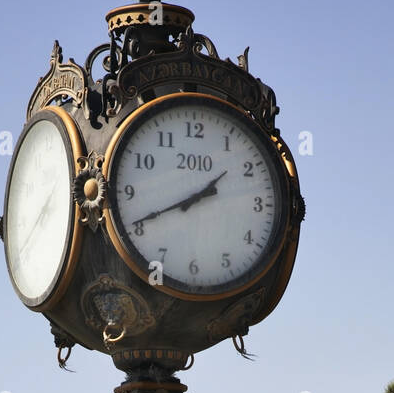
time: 1:40
